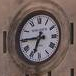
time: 6:44
